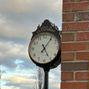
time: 5:06
